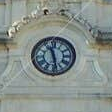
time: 11:28
